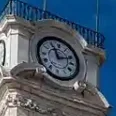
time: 11:11
